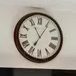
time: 7:05
